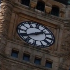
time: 1:40
